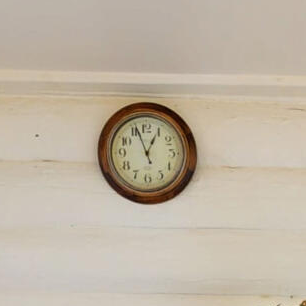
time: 12:56
